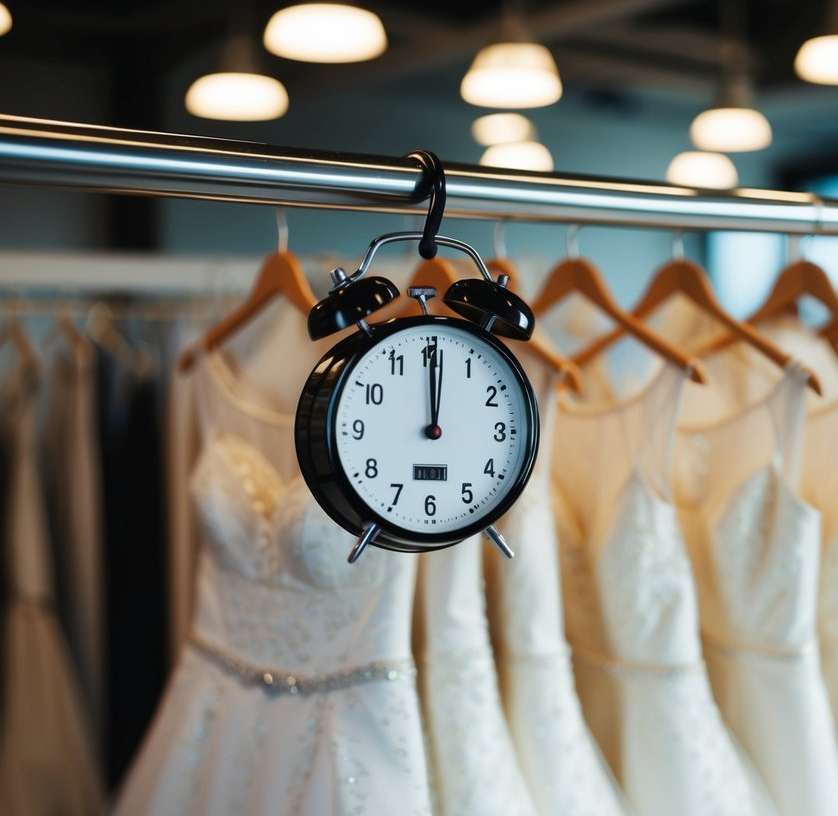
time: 12:00
